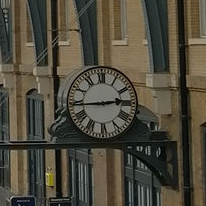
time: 2:44
